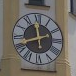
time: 11:42
